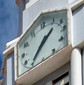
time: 1:35
